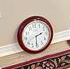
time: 2:31
